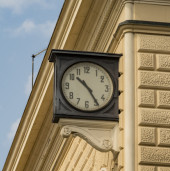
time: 10:24
